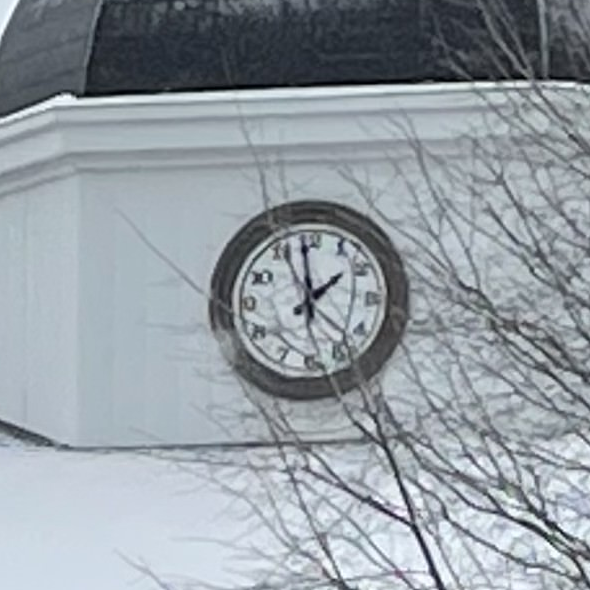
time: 1:59
